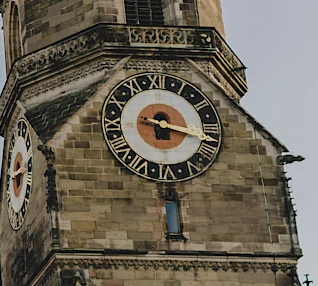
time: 9:17
